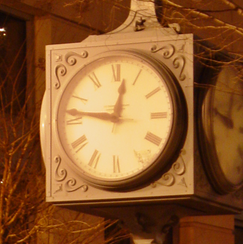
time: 12:46
